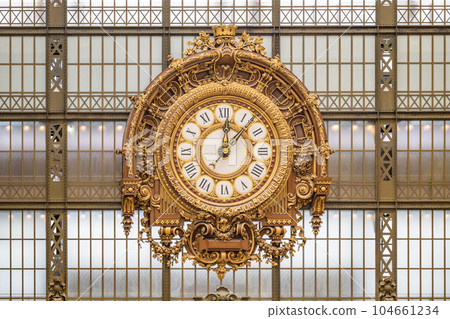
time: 12:07
